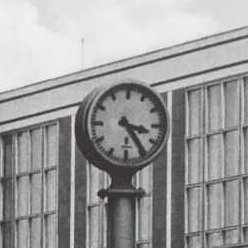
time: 3:24
